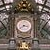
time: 3:39
